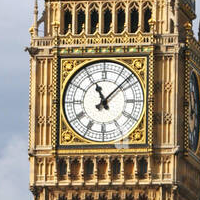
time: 11:07
